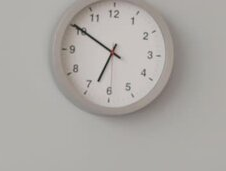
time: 6:50
